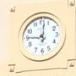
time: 9:01
